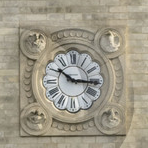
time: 10:14
